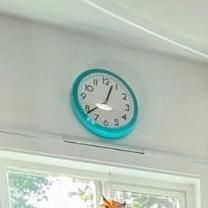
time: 12:38
